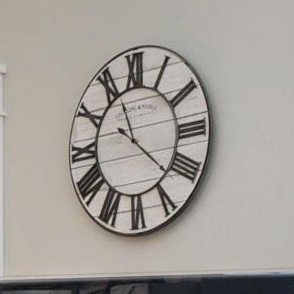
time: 11:21
